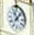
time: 11:07
